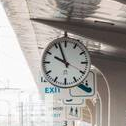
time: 9:56
